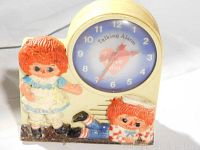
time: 2:34
